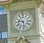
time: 9:28
